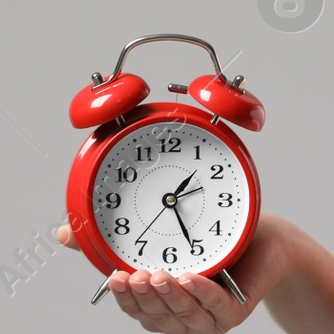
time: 1:25
